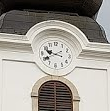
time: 9:40
